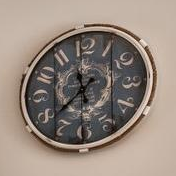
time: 11:38
